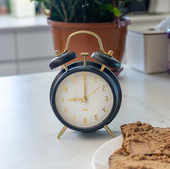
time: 9:00
